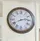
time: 2:40
